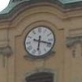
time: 6:18
